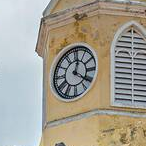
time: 12:21
